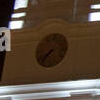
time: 7:37
